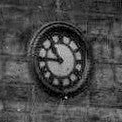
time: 10:45
